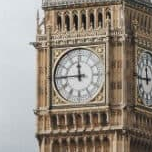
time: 11:44
